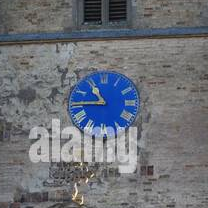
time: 10:44
